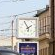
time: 1:56
